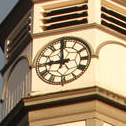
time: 8:59
